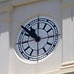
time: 10:51
